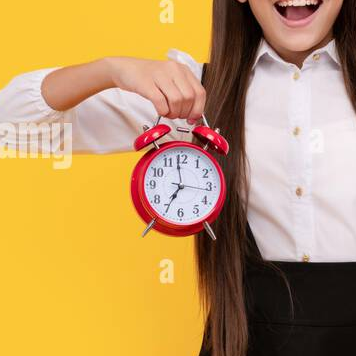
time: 6:59
